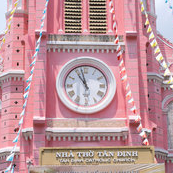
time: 10:57
